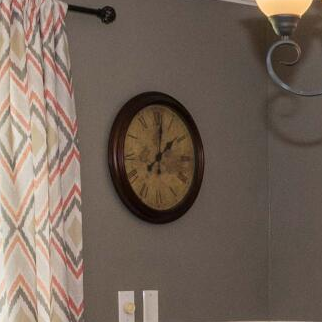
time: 2:01
